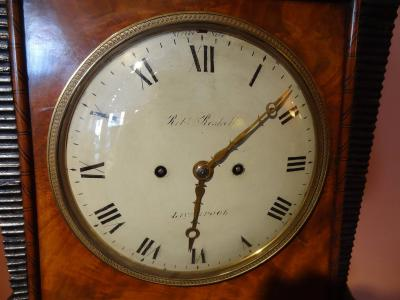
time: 6:08
